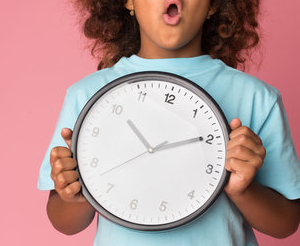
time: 10:10
